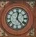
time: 12:23
